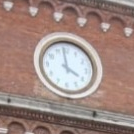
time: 3:58
